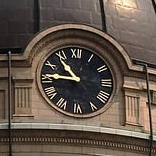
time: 10:45
